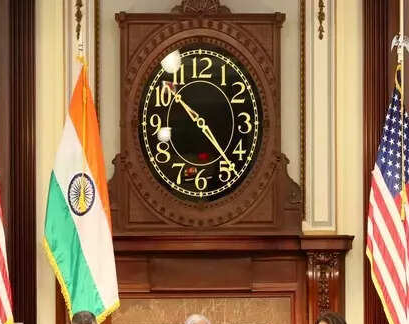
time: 10:23
